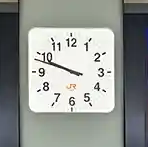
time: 9:48
